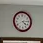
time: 4:14
